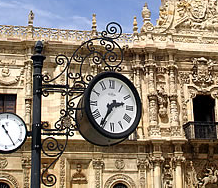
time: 2:35
